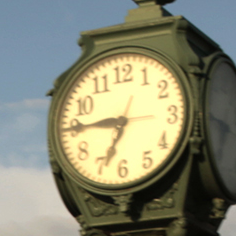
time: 6:45
